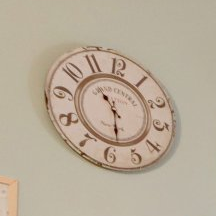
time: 10:28
